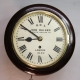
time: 8:50
